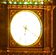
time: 6:20
